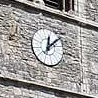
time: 12:07
